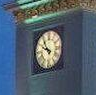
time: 9:54
